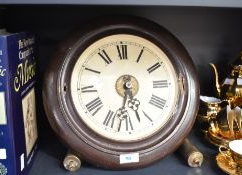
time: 5:32
